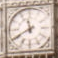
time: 11:40
